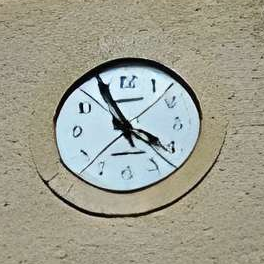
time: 3:55
